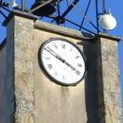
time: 3:48
